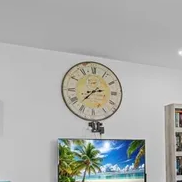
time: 2:37
